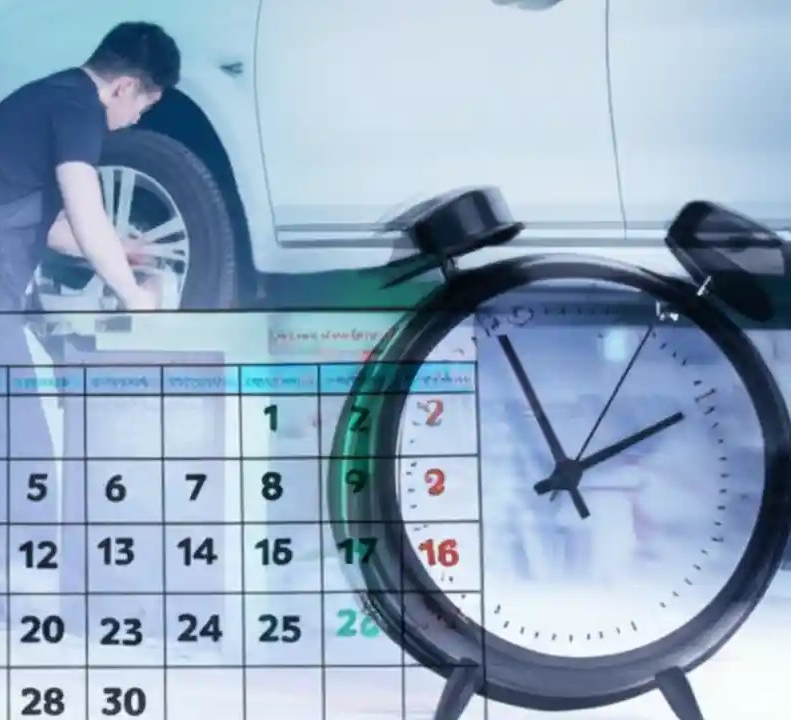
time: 1:55
